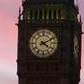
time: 4:10
